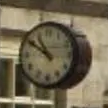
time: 10:50
